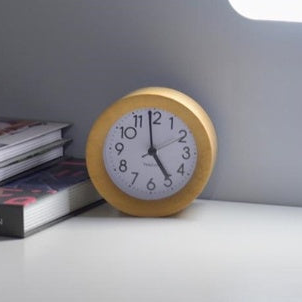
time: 4:58
